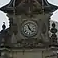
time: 11:22
